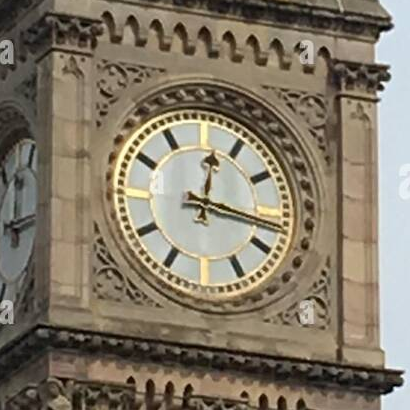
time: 12:16
